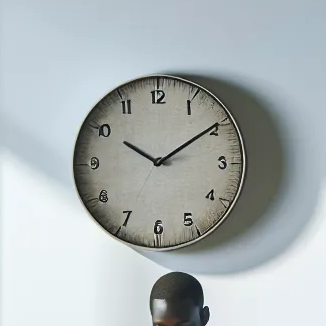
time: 10:09
